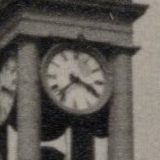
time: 3:37
